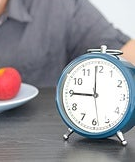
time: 8:59
